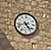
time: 4:42
